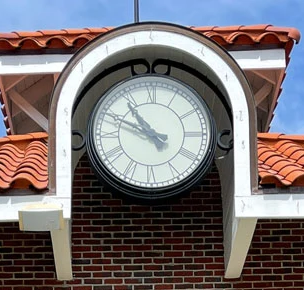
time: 10:49
